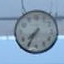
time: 7:35
